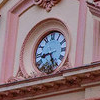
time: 8:26
